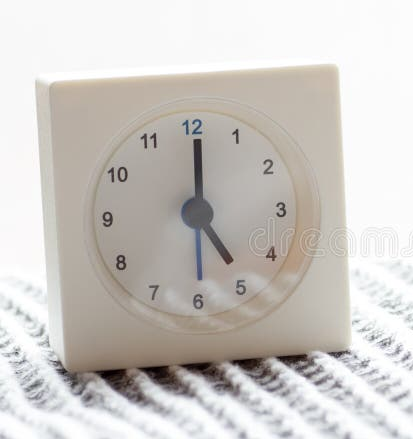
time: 5:00
